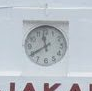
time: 11:39
